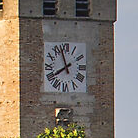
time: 7:57
